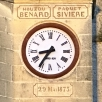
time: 8:35
